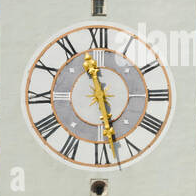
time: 11:27
